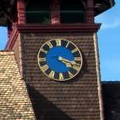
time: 4:18
